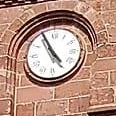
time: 4:55
